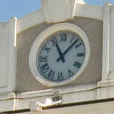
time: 11:07
